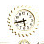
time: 5:43
